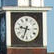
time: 9:33
